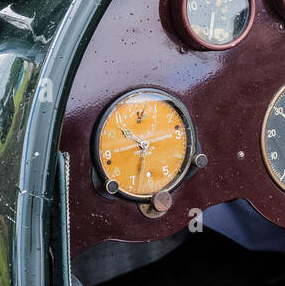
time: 10:14
